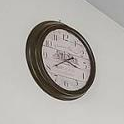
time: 3:39
